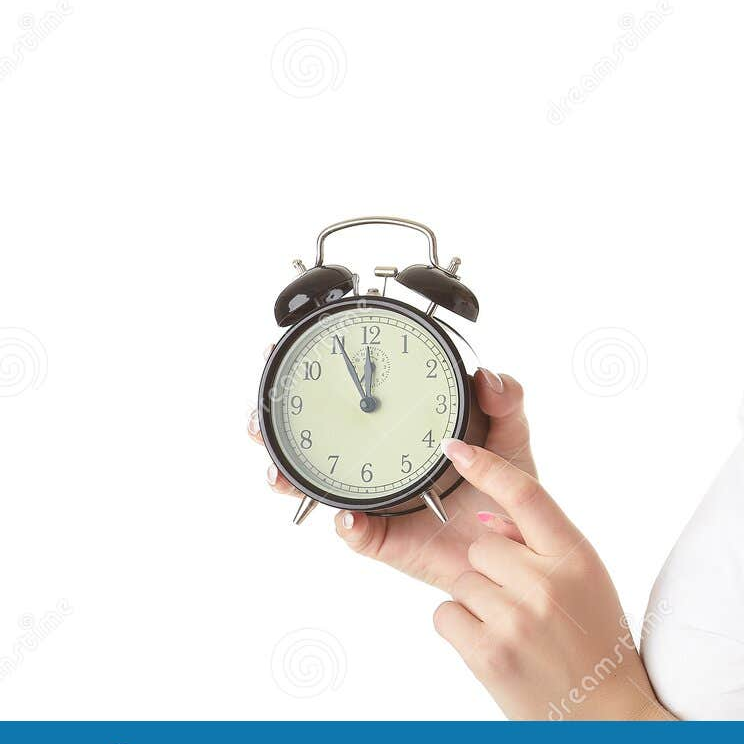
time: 11:55
